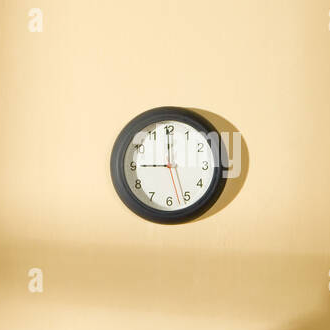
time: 8:59
